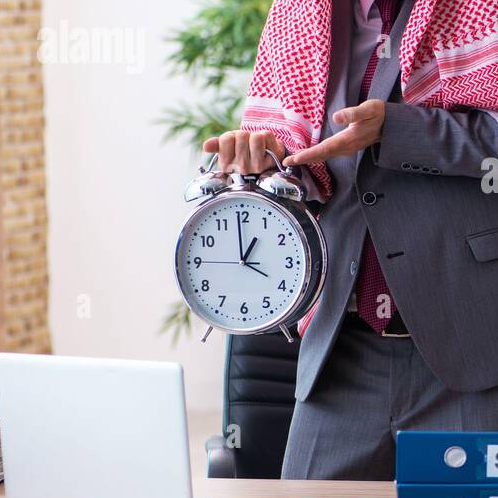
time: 12:59
